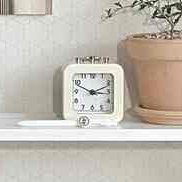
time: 3:11
